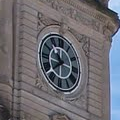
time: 10:38
